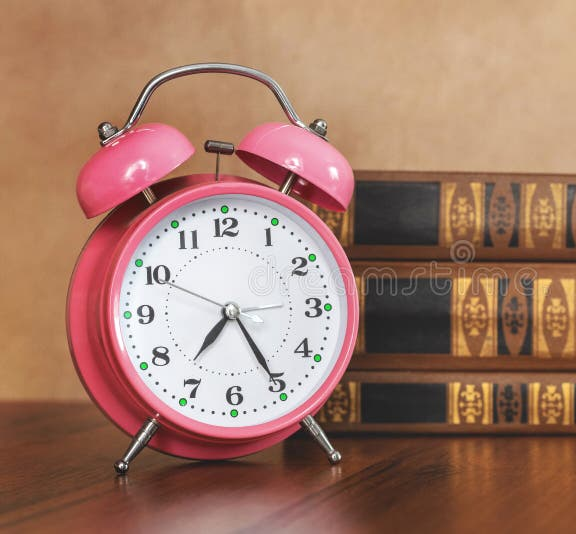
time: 7:25
